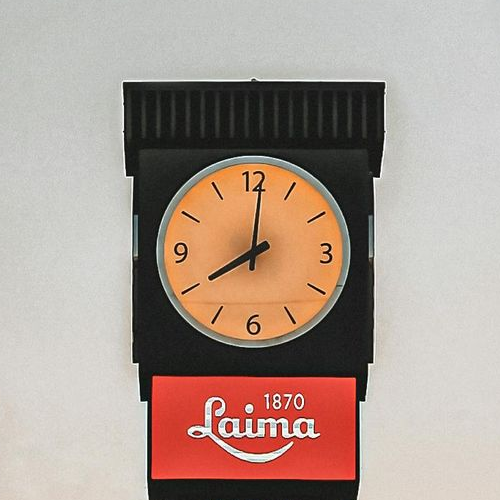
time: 8:01
